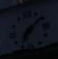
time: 7:08
